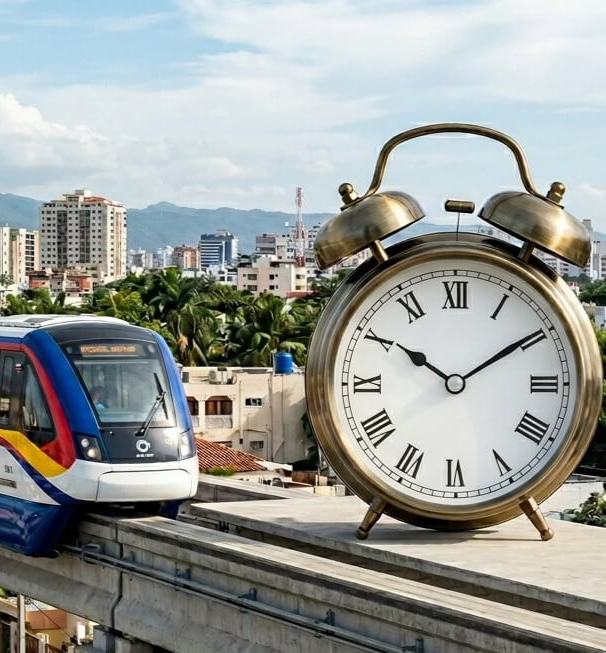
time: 10:09
